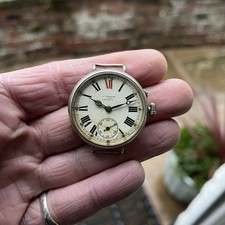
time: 10:11
